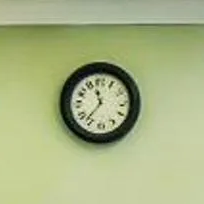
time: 11:36
